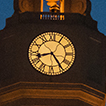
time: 8:24
